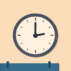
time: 2:59
